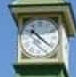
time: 10:21
